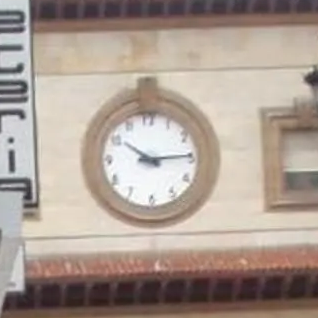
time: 10:14
